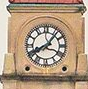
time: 8:06
